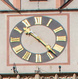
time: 10:22
